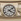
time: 4:08
